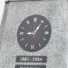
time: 9:05
